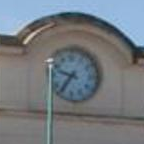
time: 9:36
